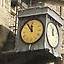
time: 11:54
